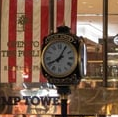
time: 8:04
